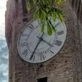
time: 4:35
